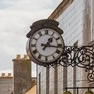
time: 1:16
